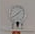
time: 1:39
